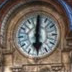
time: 6:00
